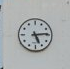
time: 5:14
